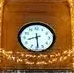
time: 8:29
